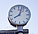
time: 8:03
